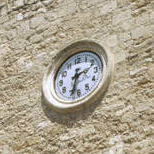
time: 2:33
